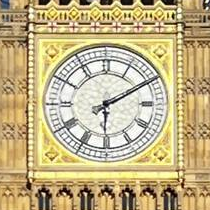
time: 6:10
